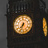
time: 7:33
